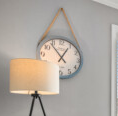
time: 12:53
